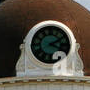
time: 2:18
